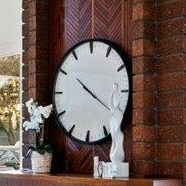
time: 10:20
